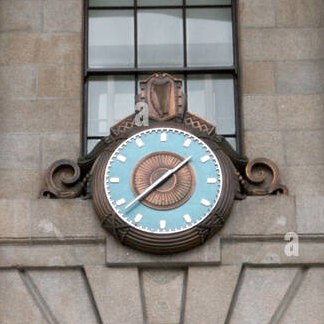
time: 1:37
